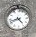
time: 4:42
